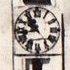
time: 10:42
